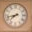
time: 7:42
